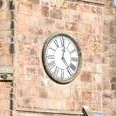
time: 12:23
